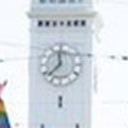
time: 11:37
